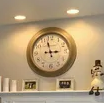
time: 2:57
